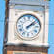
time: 2:07
